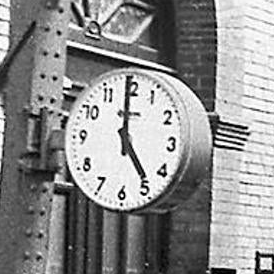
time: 4:59
